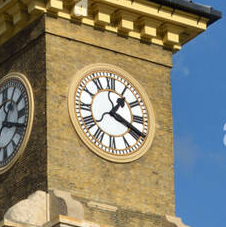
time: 1:18
